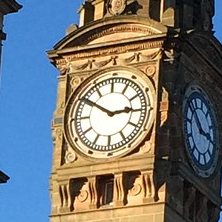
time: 2:50
